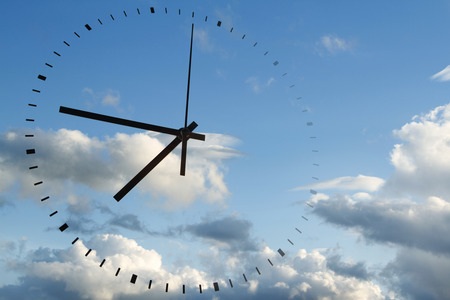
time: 7:47
